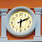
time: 6:10
